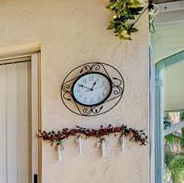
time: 12:49
